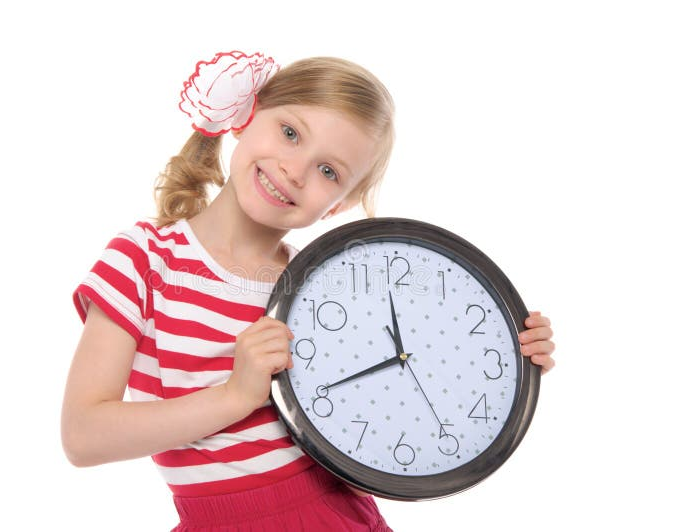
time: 11:41
